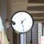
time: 1:28
